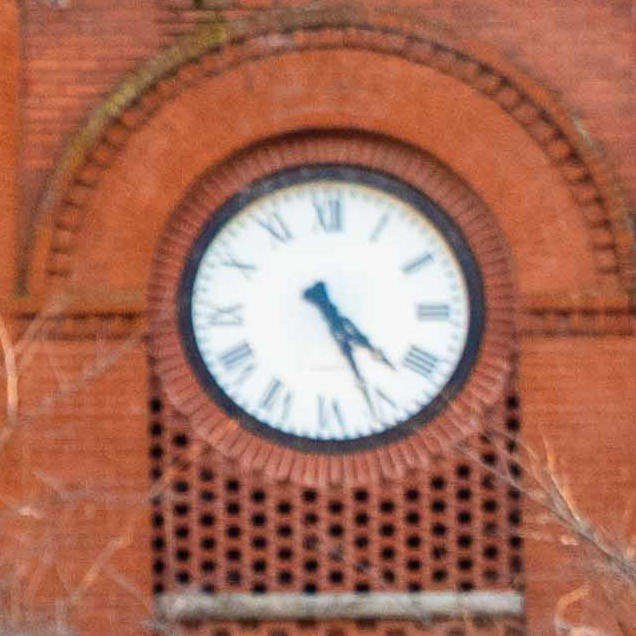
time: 4:26
